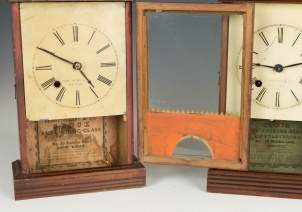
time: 4:49
